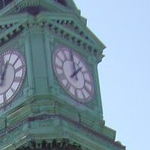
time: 12:07
